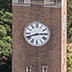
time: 8:14
